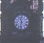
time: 11:32
